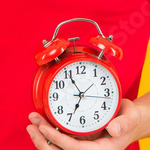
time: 6:55
